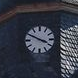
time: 3:49
